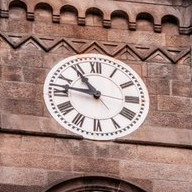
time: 10:46
